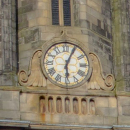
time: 6:04
